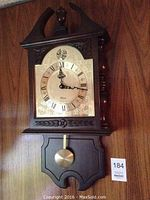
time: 12:16
